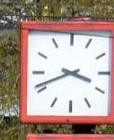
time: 3:41
